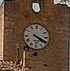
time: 4:19
